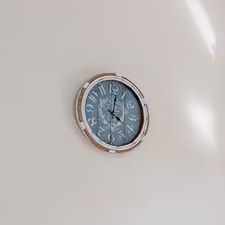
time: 4:01
